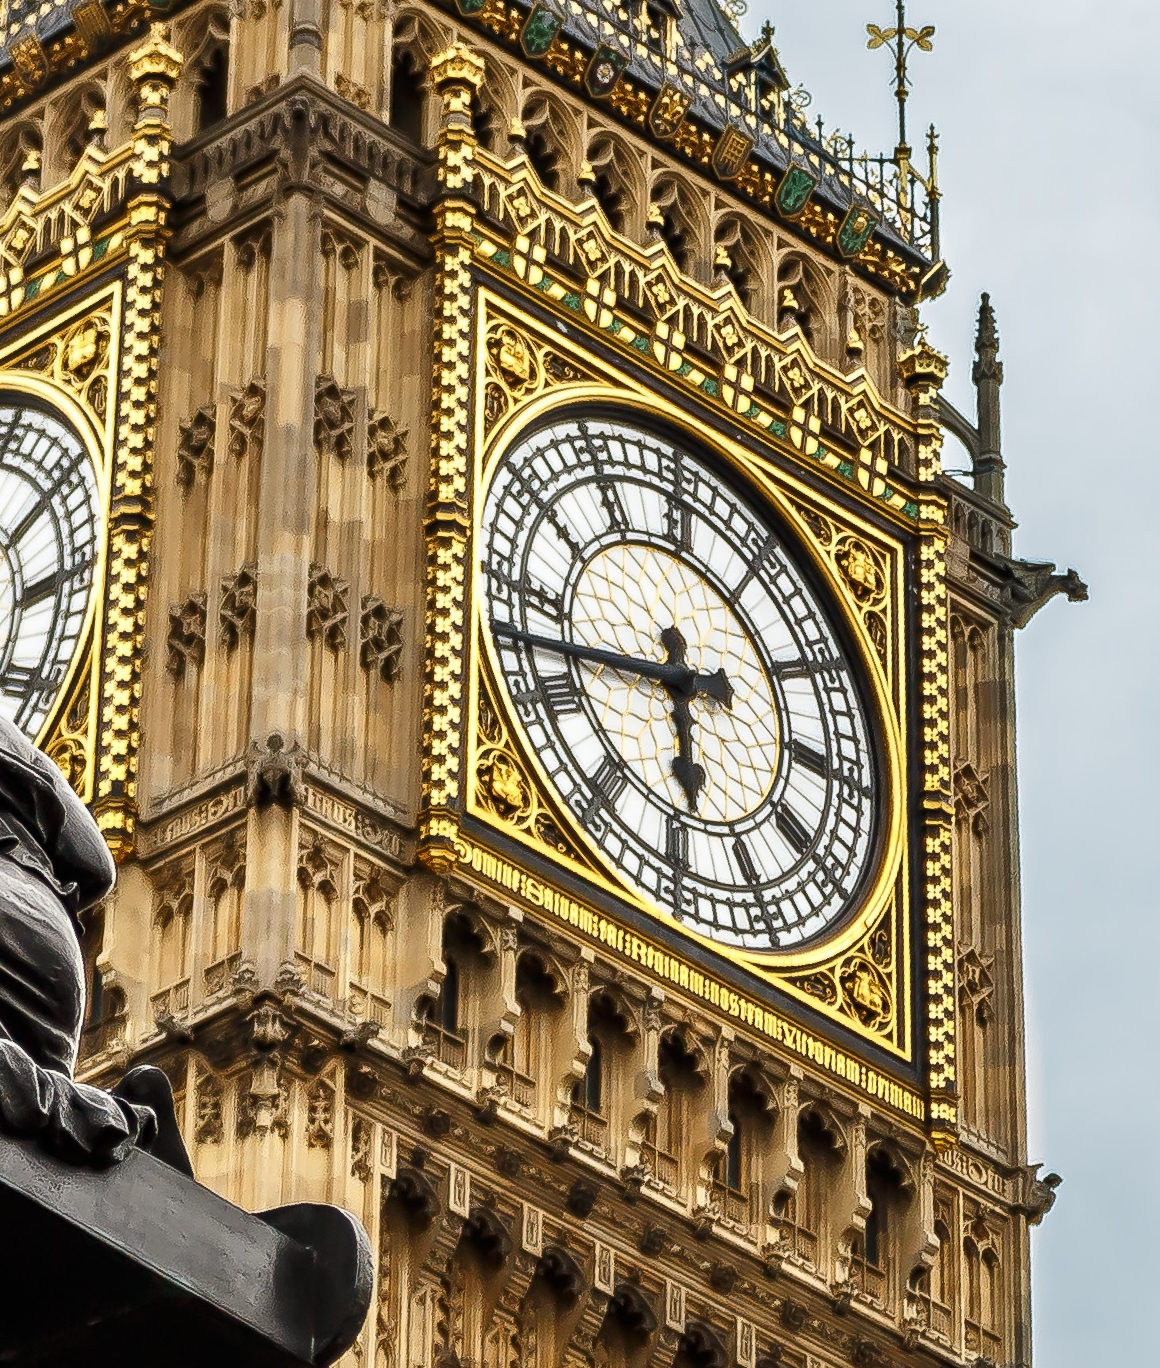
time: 5:42
